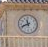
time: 11:41
